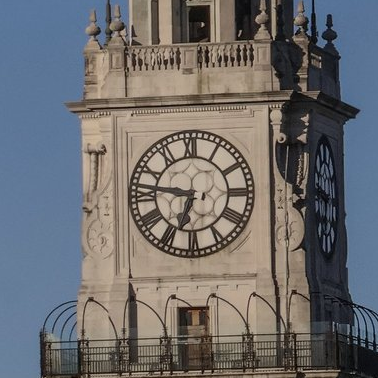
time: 6:46
